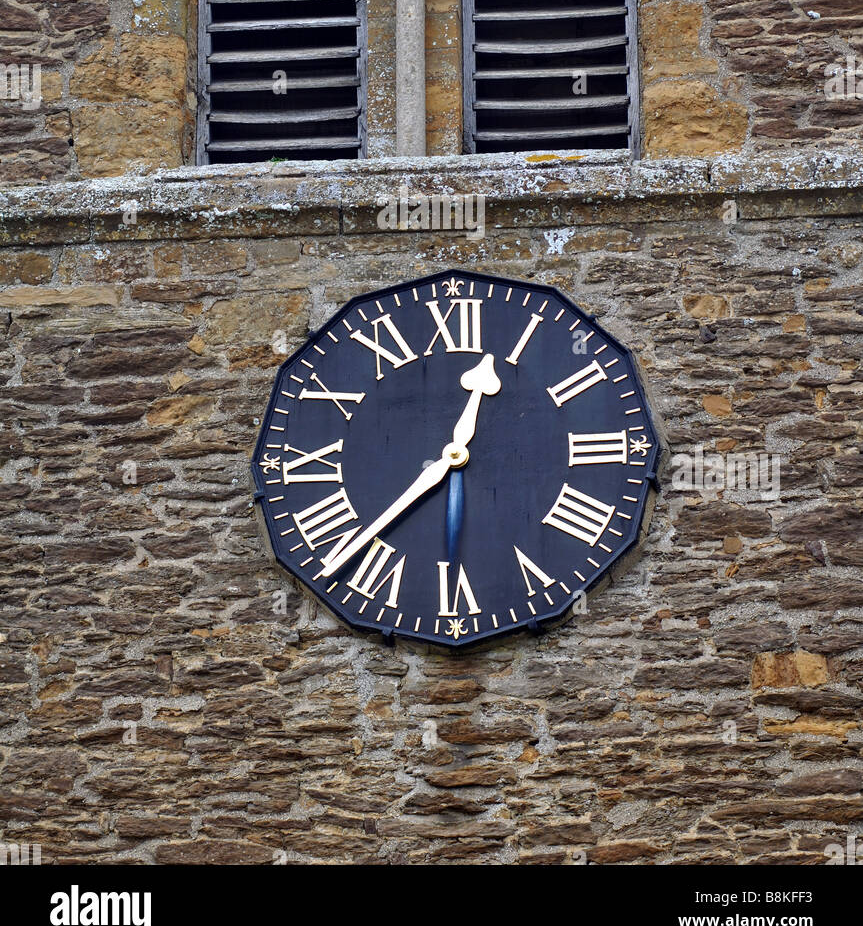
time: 12:37
